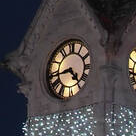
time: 4:43
